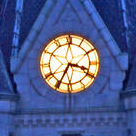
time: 3:34
